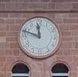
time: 11:48
